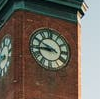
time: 8:49
